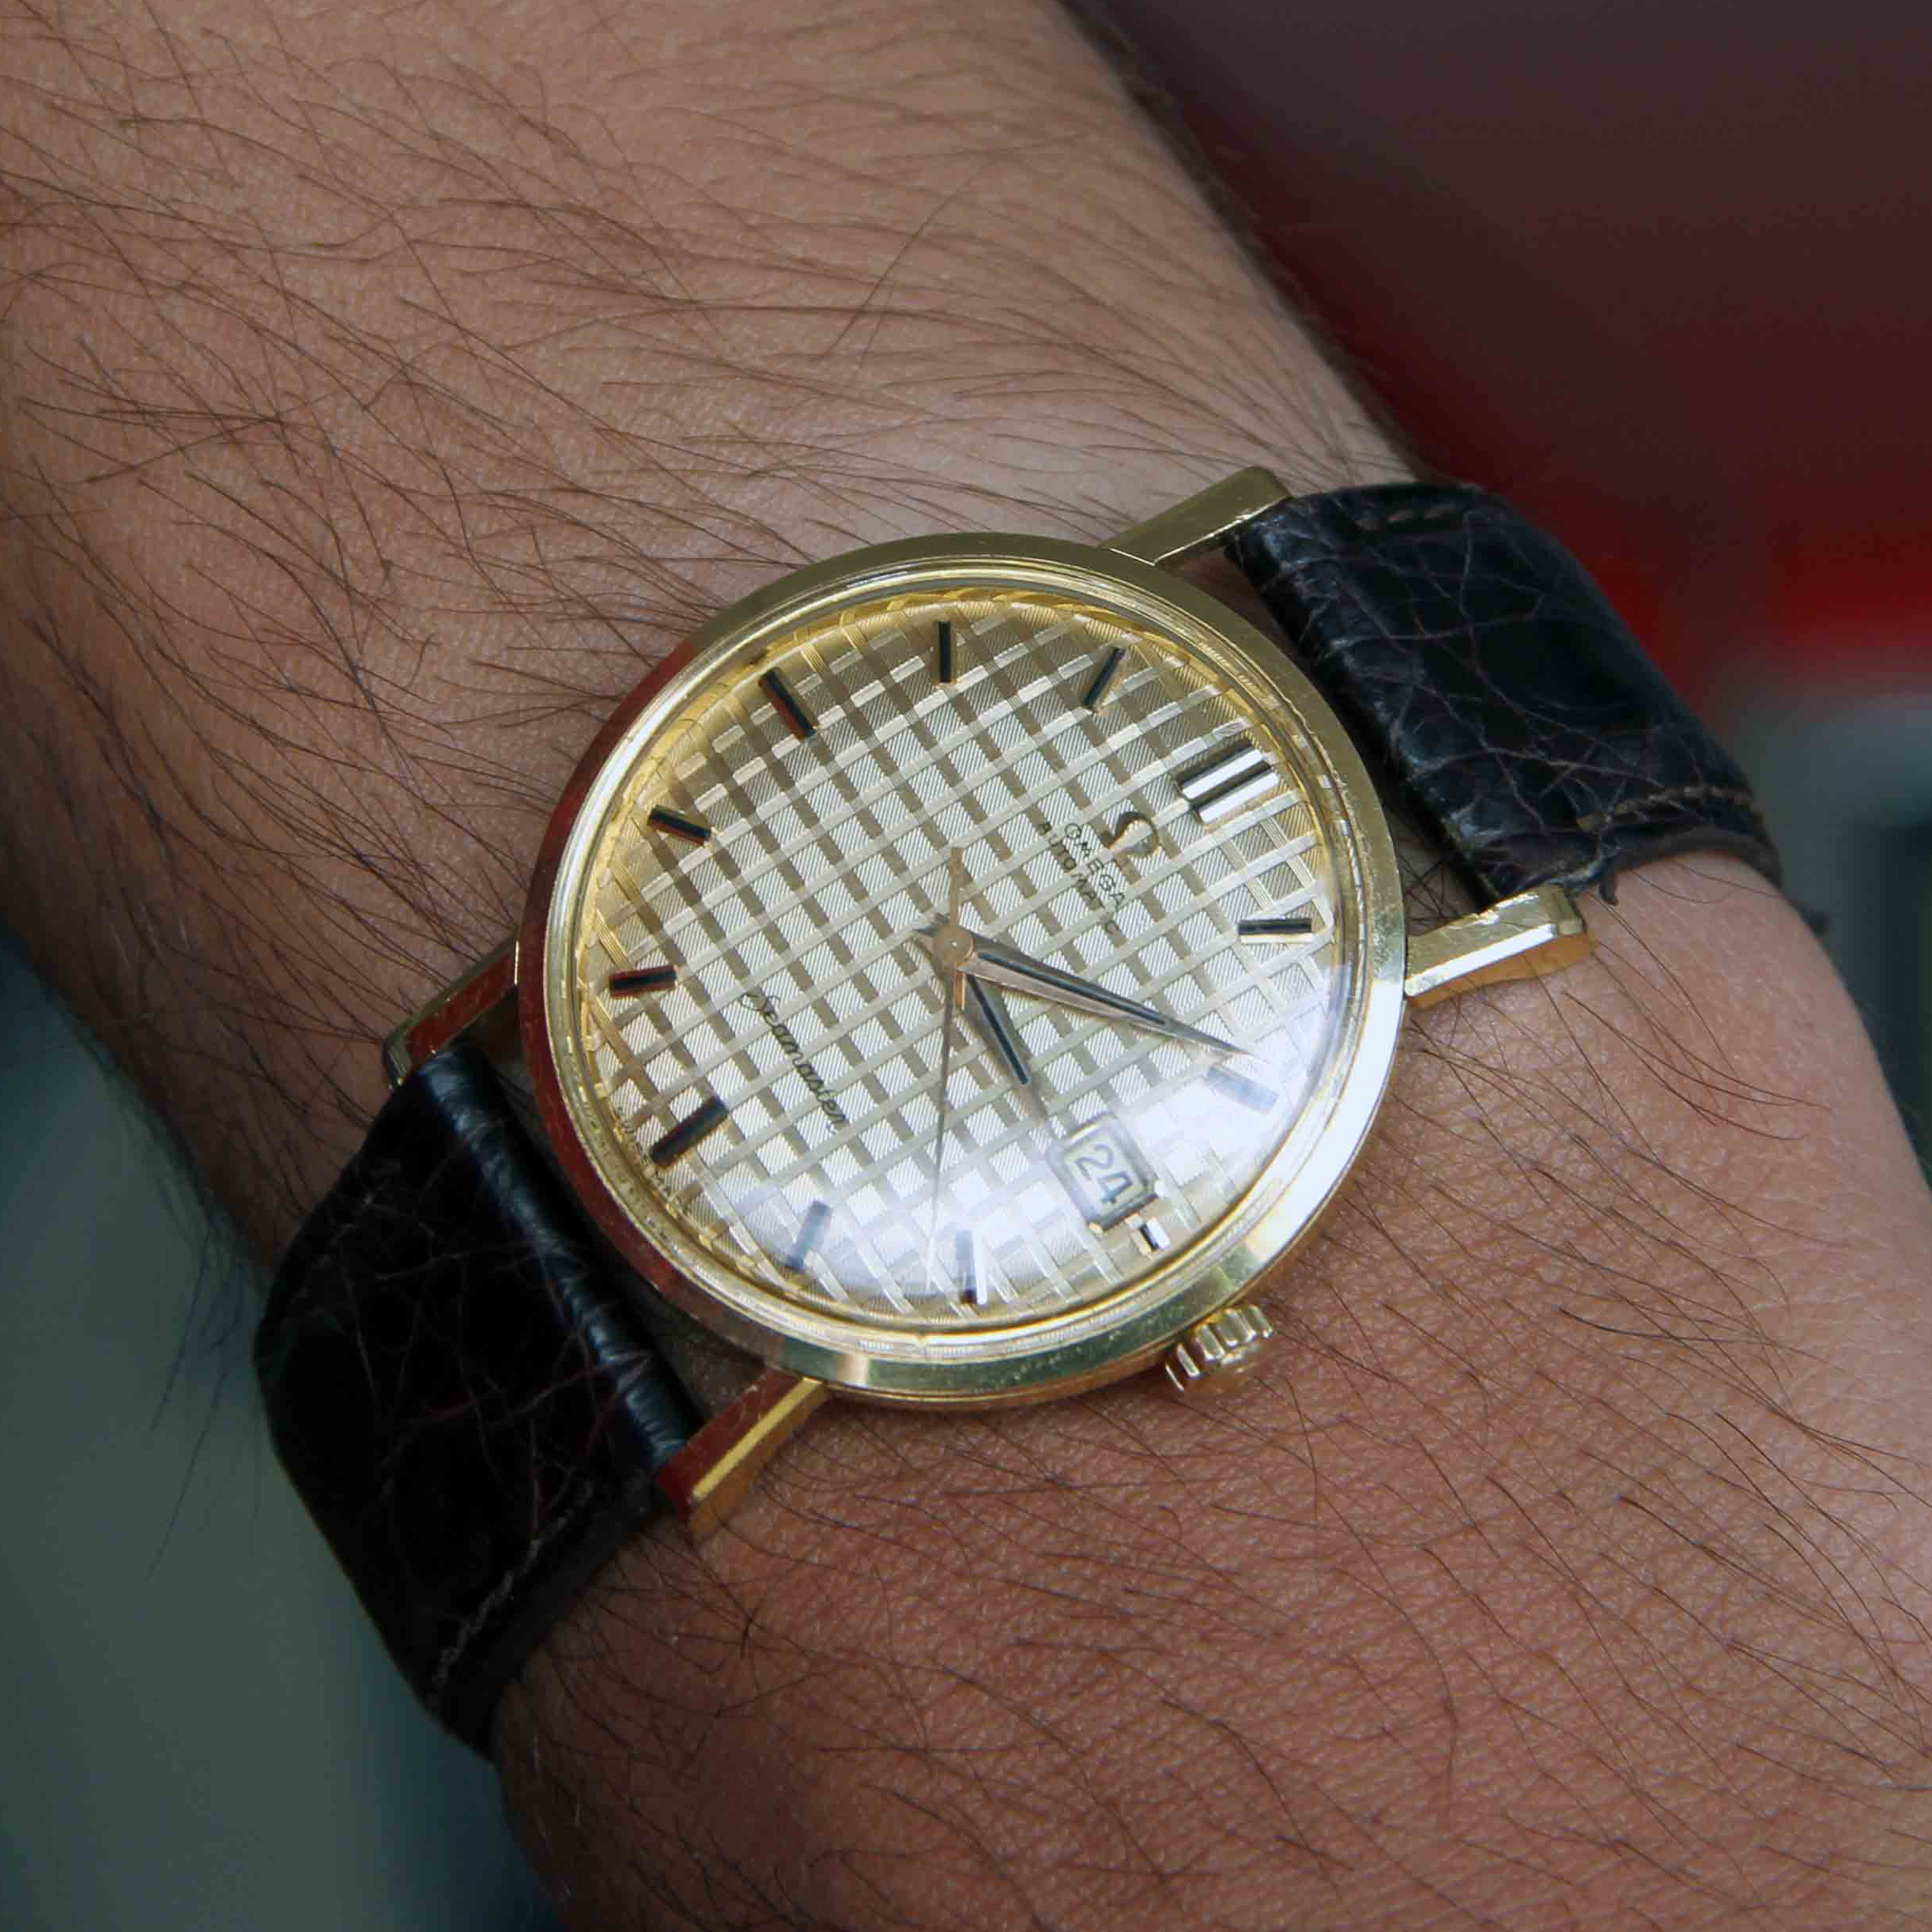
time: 5:19
